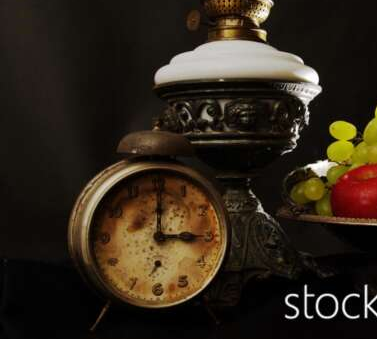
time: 3:00
